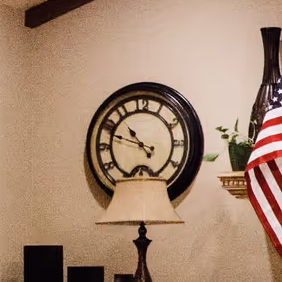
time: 10:48
